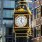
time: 12:24
